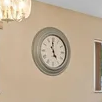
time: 4:59
